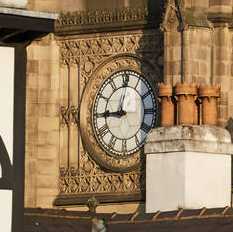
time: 9:01
